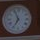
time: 6:56
